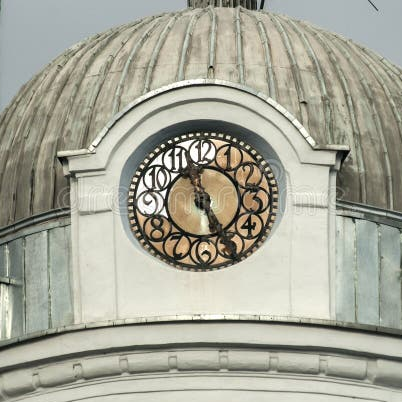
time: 11:25
